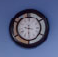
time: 9:30
